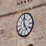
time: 4:59
